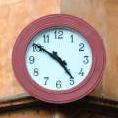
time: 4:50
